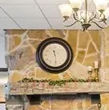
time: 11:29
